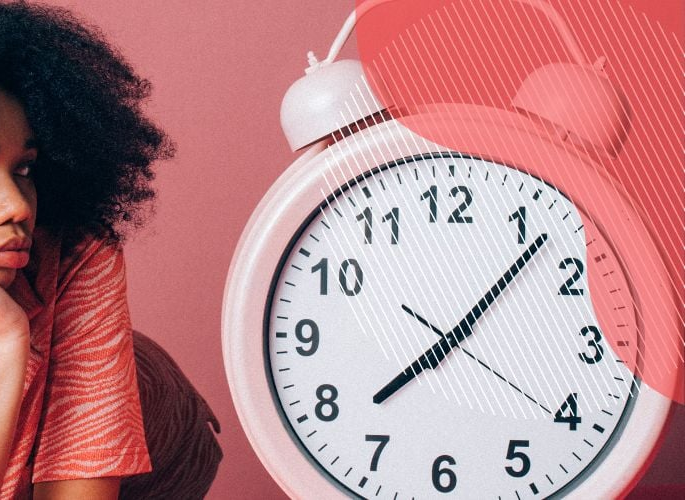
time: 10:07
